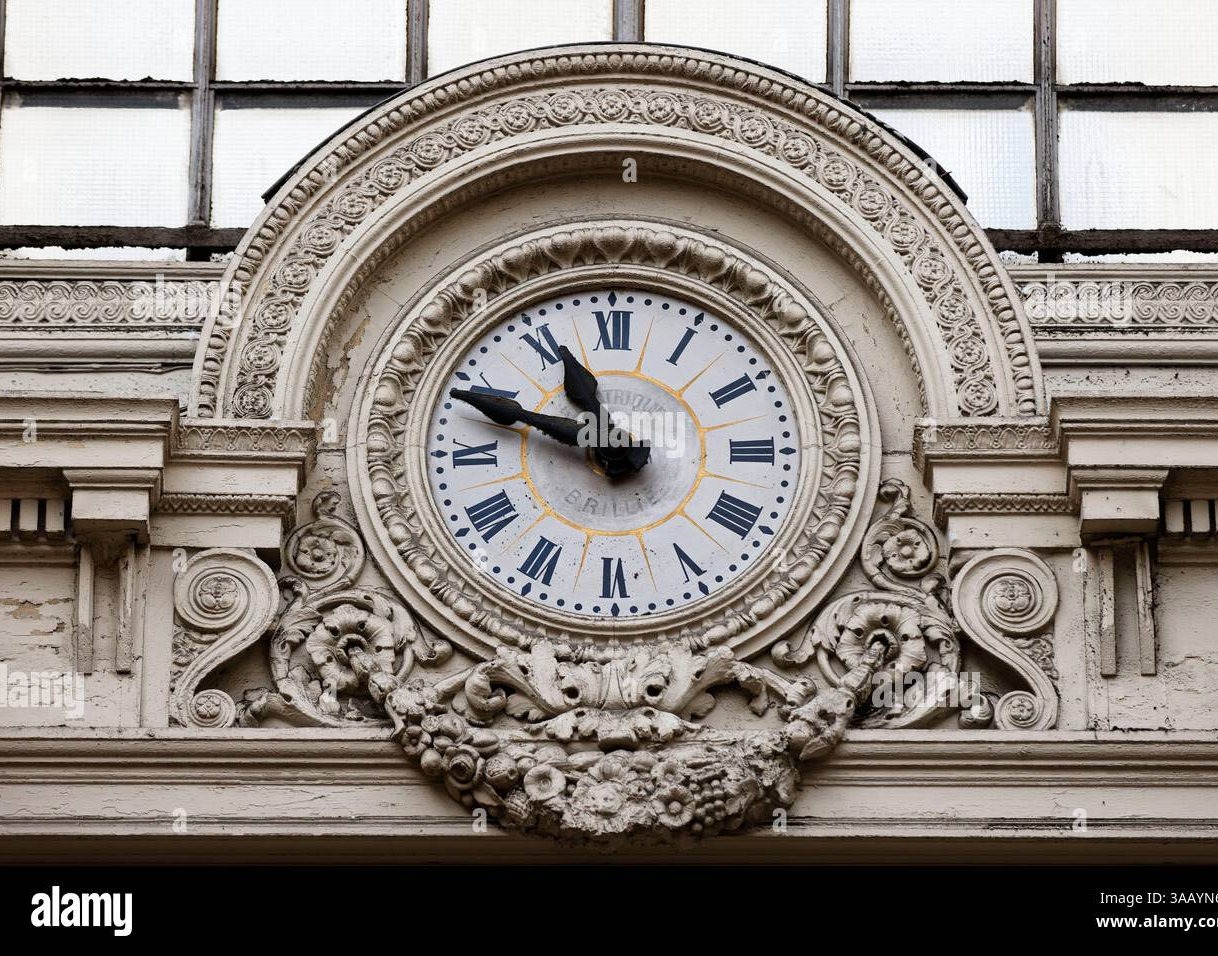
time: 10:48
